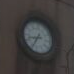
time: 8:34
